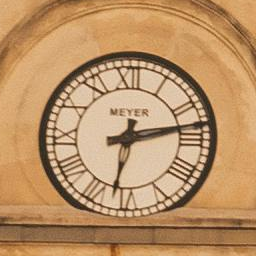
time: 6:13
